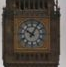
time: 10:04
